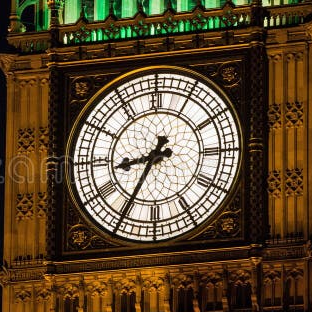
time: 8:34
